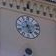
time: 5:11
